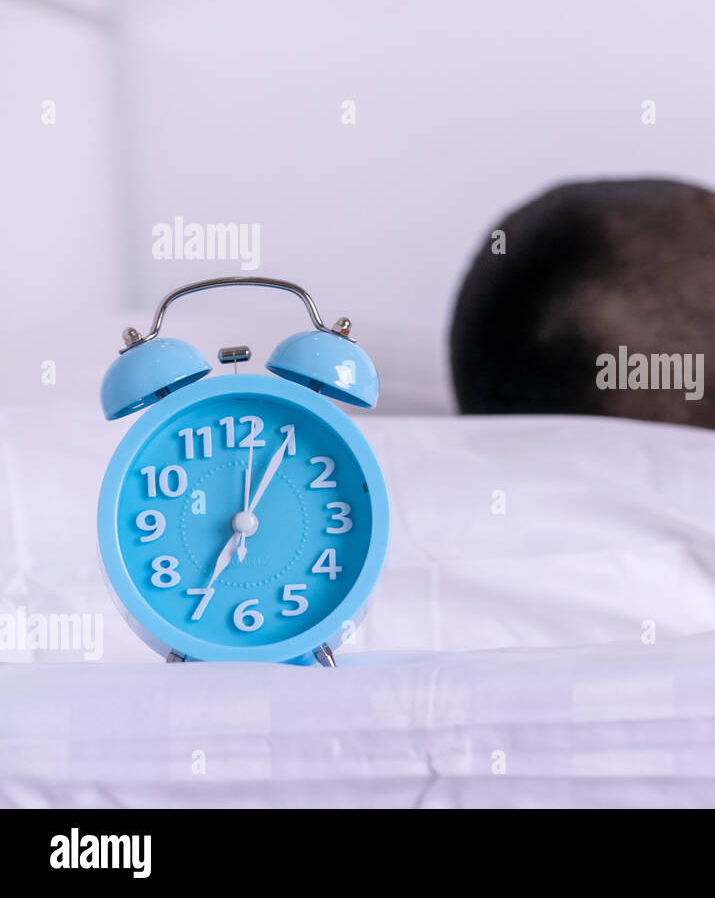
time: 7:05
